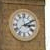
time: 3:09
